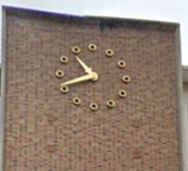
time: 10:42
